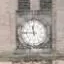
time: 11:45
